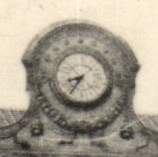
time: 7:34
